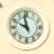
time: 9:57
